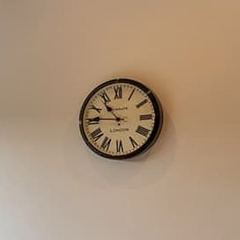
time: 10:45
